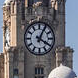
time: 4:04
